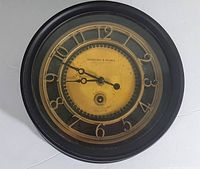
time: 8:48
